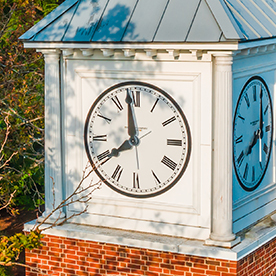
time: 7:58
